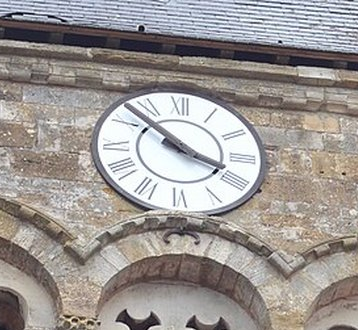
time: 3:52
